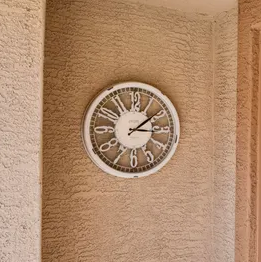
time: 3:09
